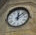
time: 12:07
